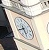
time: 5:40
